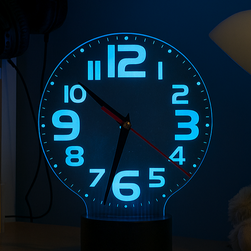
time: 10:32
